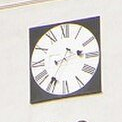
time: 2:35
